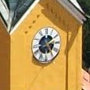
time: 2:24
